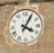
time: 4:04
